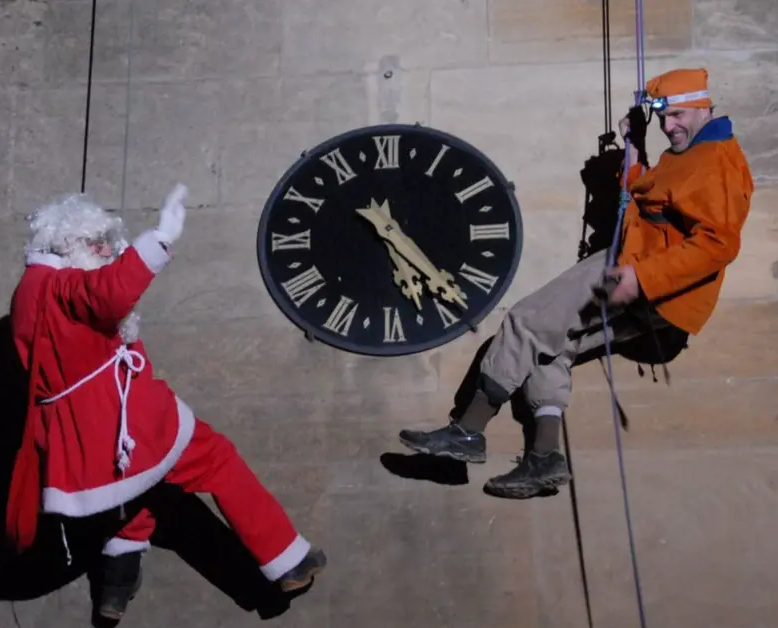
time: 5:23
